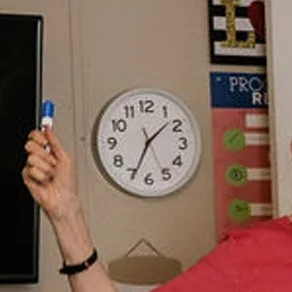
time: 1:34
